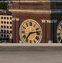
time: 7:13
